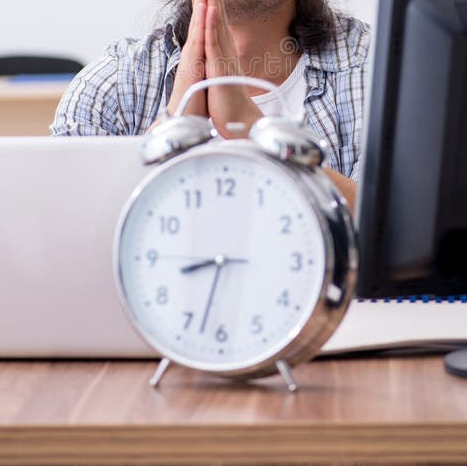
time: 8:32
